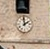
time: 1:59
